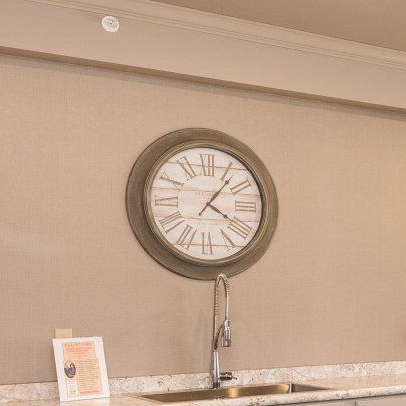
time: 4:06
